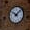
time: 10:07
